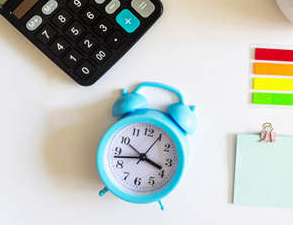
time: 3:42
